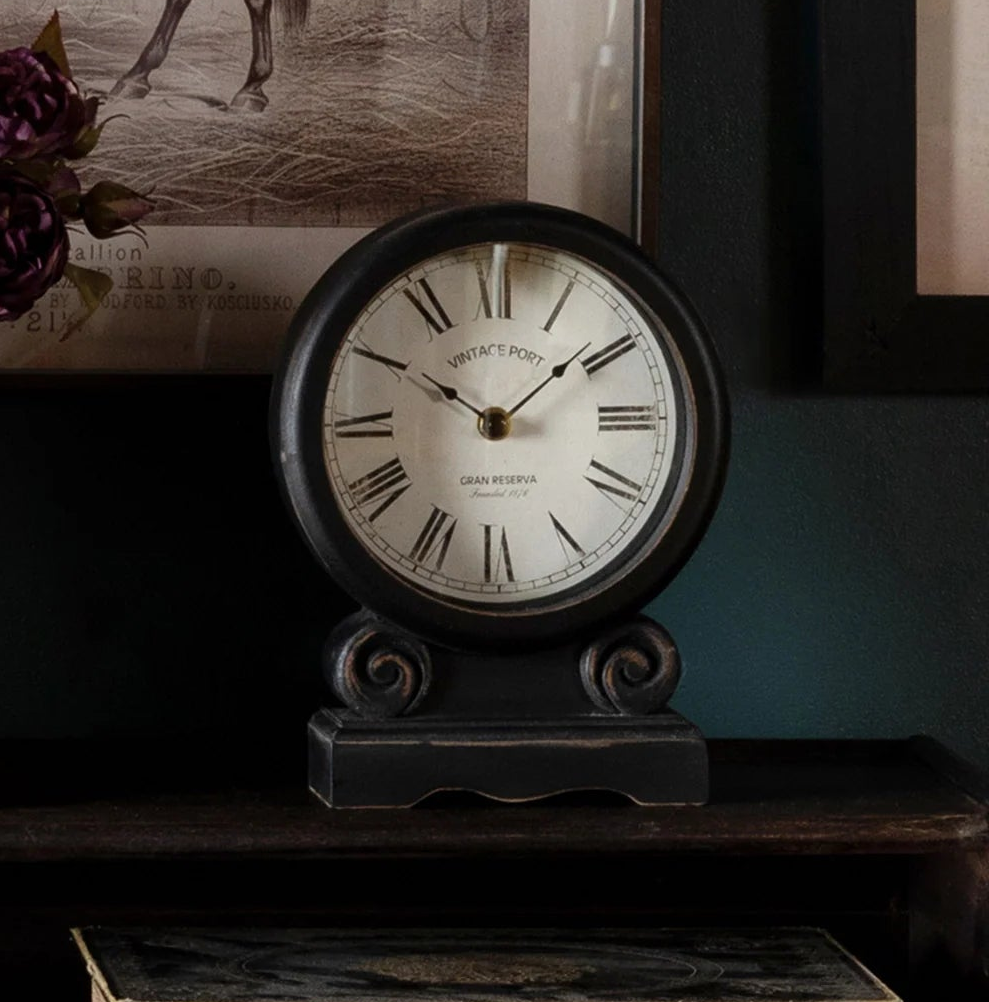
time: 10:09
